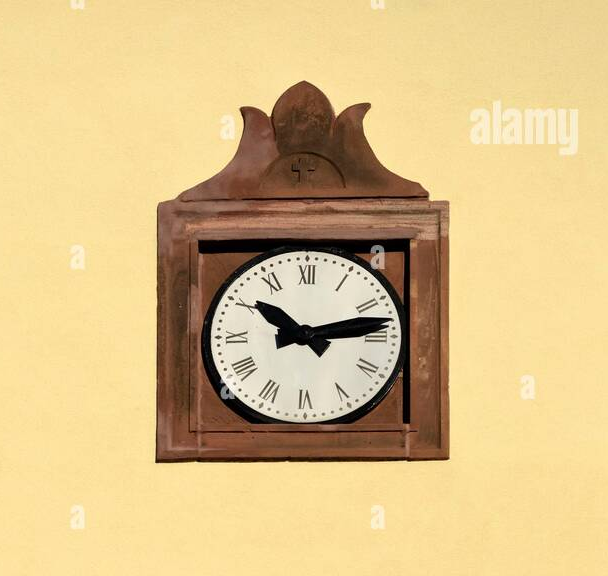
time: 10:13
